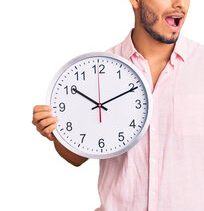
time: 10:10
